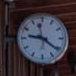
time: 9:21
